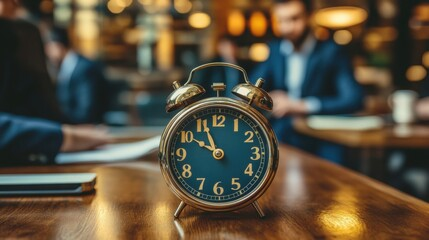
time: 9:56
